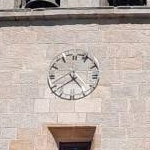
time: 4:38
